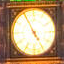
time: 4:55
